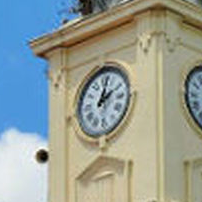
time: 2:02
